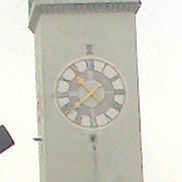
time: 10:38
